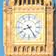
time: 8:24
